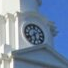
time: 5:38
